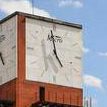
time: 4:58
